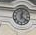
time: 12:20
